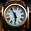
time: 5:54
